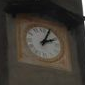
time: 2:04
